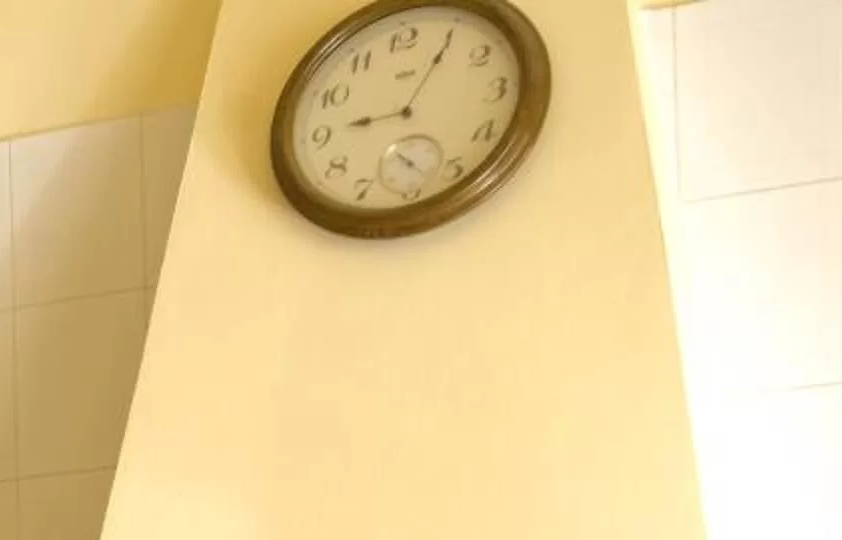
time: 9:05
